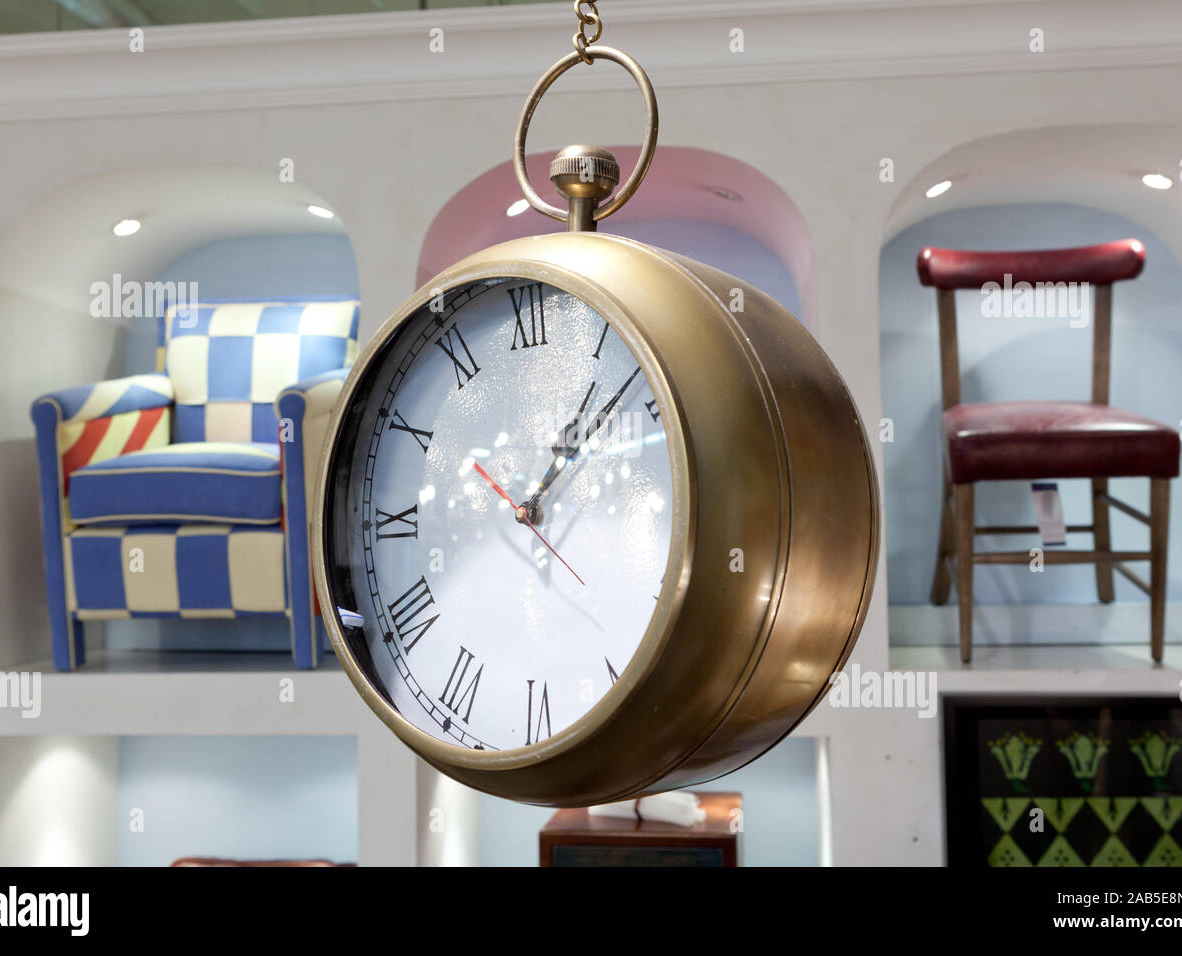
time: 10:07
